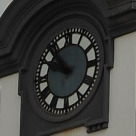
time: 9:53
